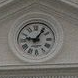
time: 9:06
